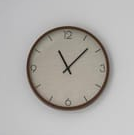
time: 11:07
